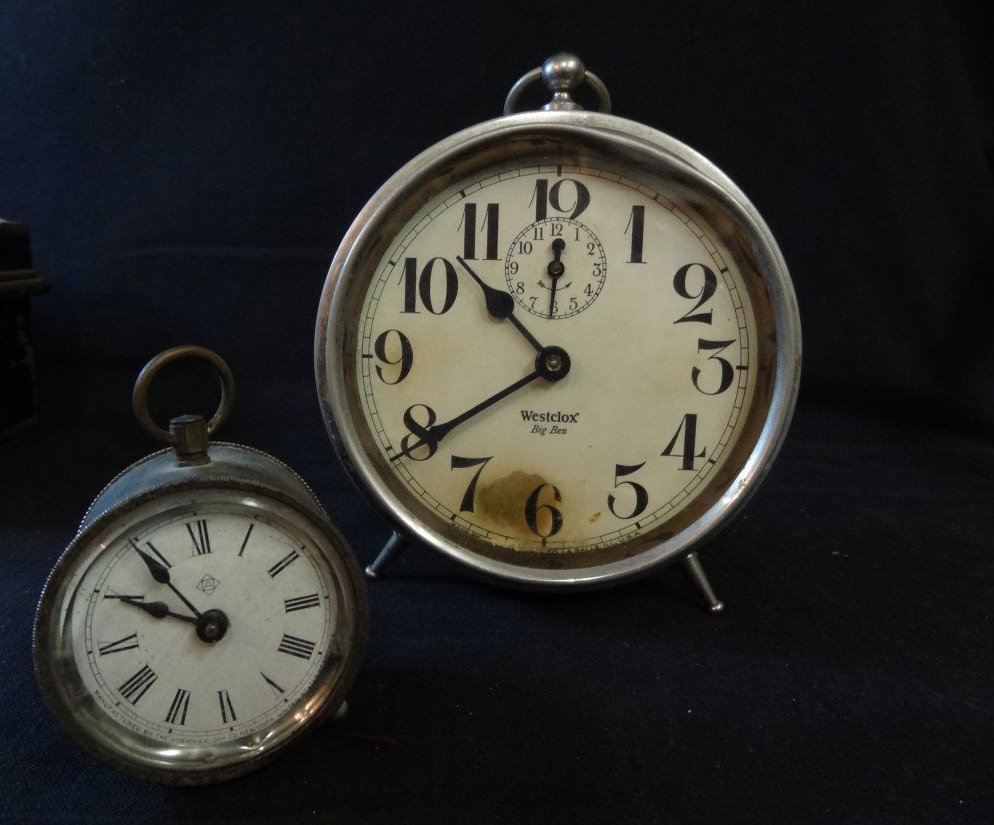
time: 10:39
